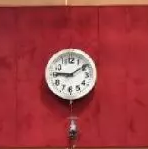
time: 9:09
